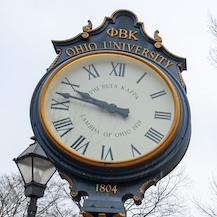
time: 9:47
